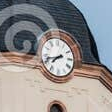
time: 7:42
